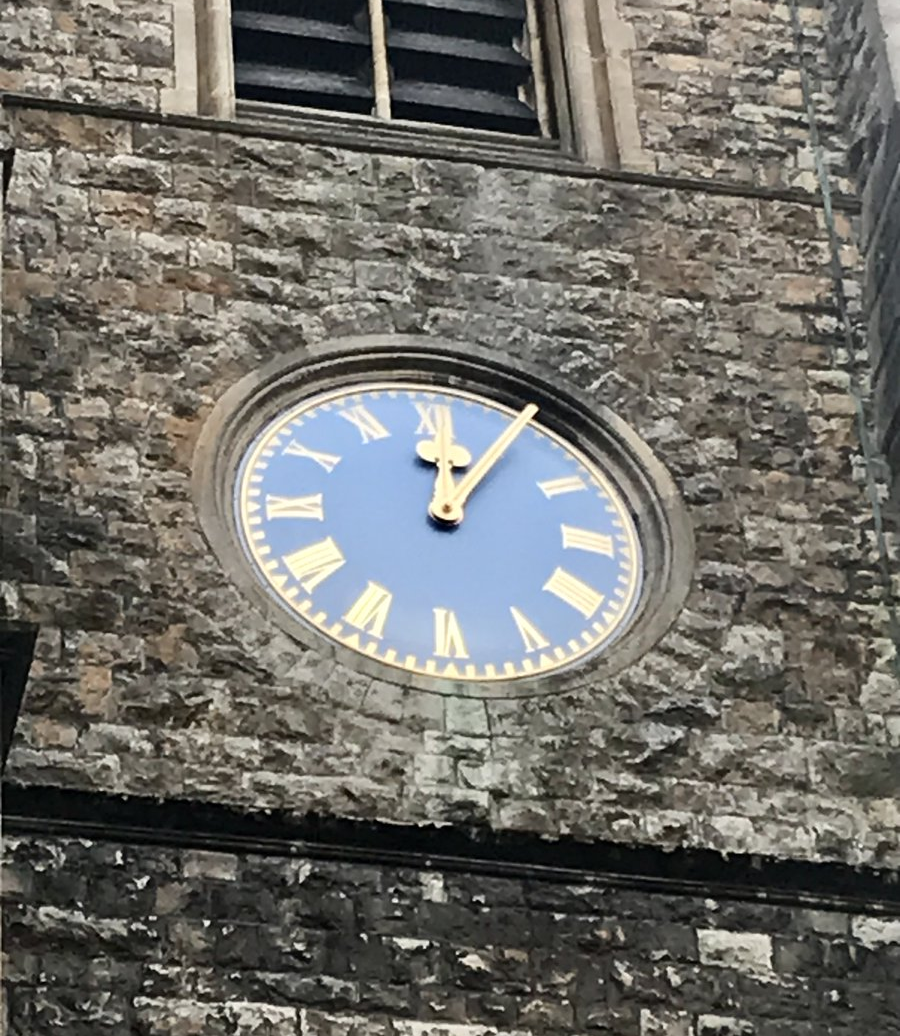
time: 12:05
